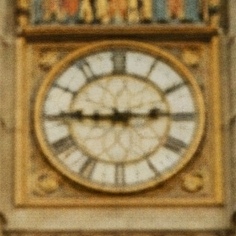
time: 2:45
